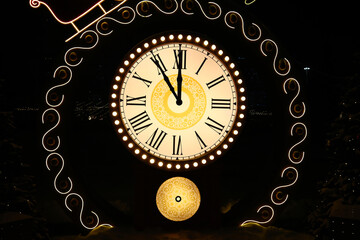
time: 11:00
